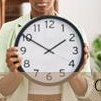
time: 1:50
